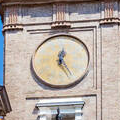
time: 12:24
